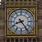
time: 8:24
